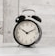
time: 10:11
